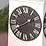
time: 1:40
